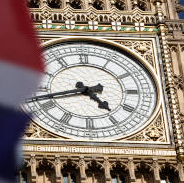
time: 4:42
